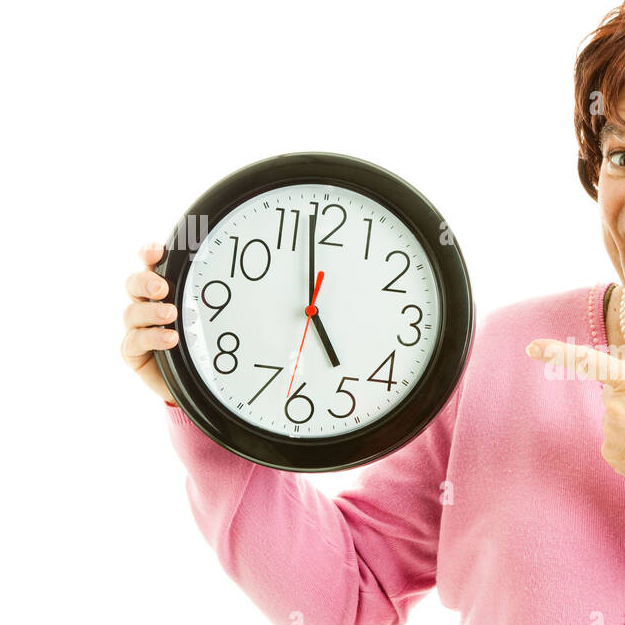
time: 4:58
